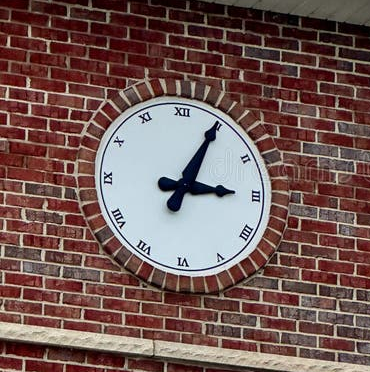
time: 3:04
